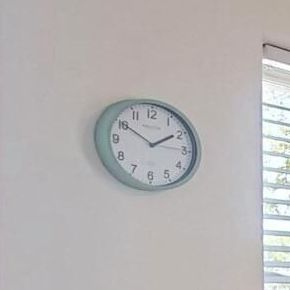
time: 1:50
